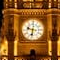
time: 9:32
